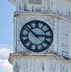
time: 2:51
